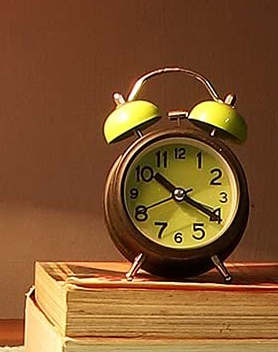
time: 10:19
